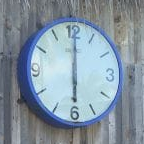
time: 6:00
